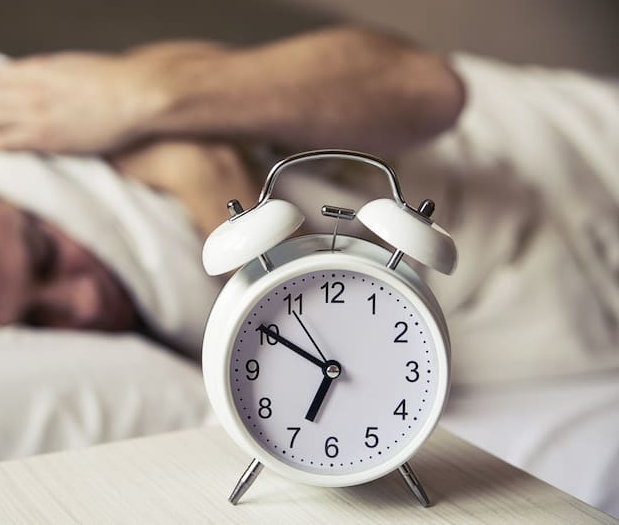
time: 6:50
